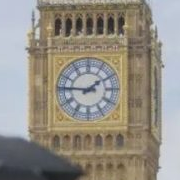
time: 1:46
